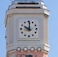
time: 10:00
